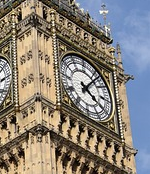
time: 4:06
